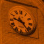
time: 9:23
